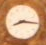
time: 8:15
